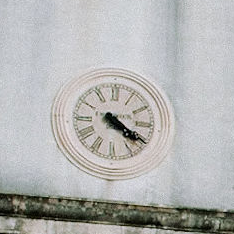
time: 4:20
